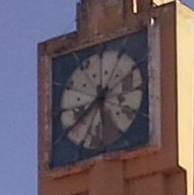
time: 5:40
